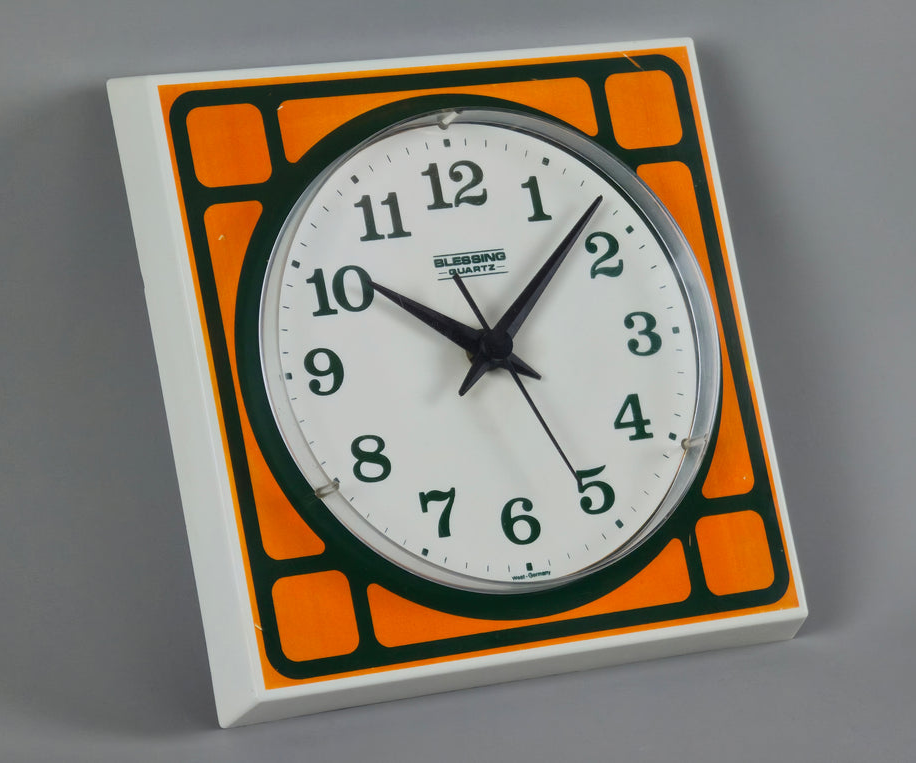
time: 10:07
